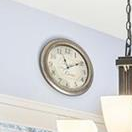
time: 11:10
